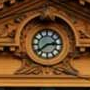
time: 2:38
